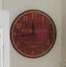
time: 11:43
